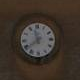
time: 11:38
